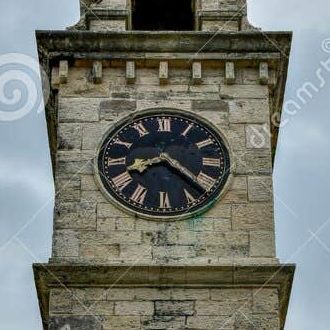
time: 8:21
